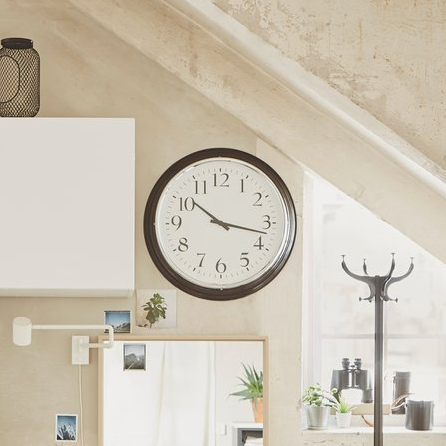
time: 10:17
